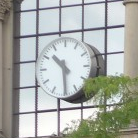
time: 10:29
